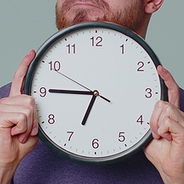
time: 6:45
